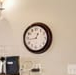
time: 12:43
